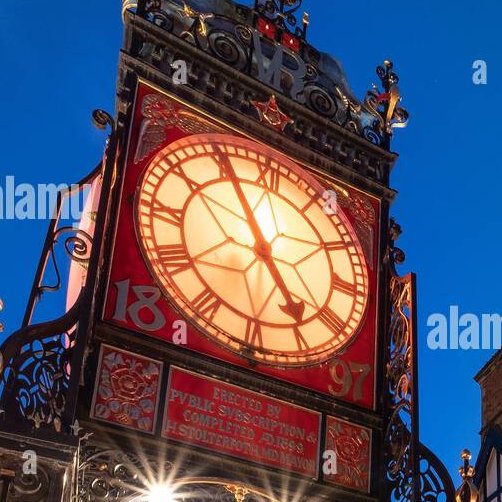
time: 4:55
